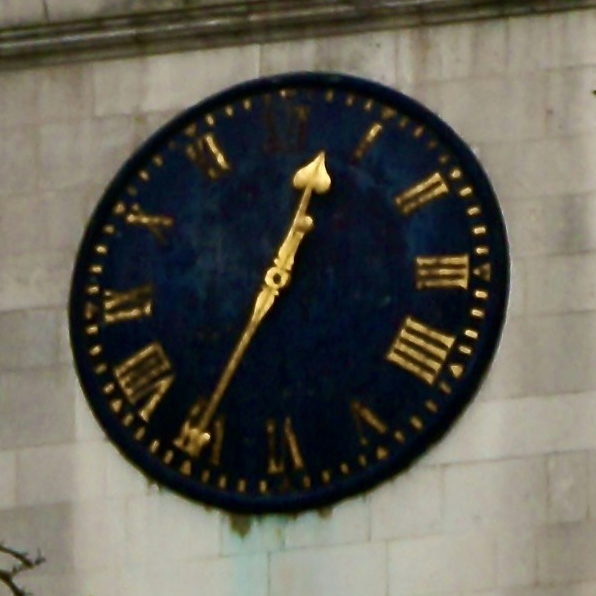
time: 12:35
